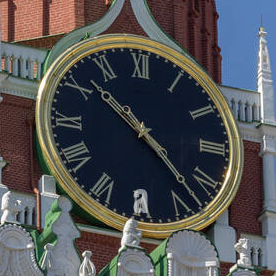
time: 10:22
